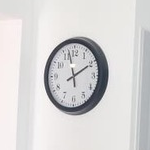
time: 1:57
